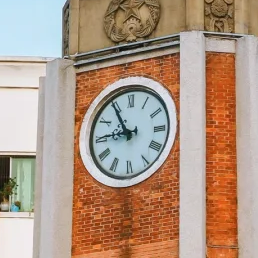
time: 8:54
